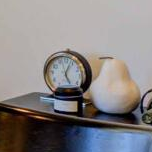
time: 5:03
